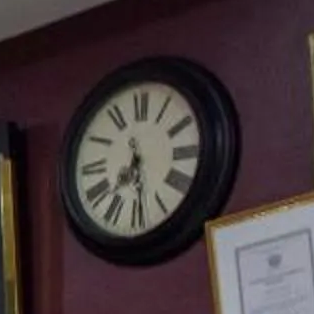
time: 7:28
